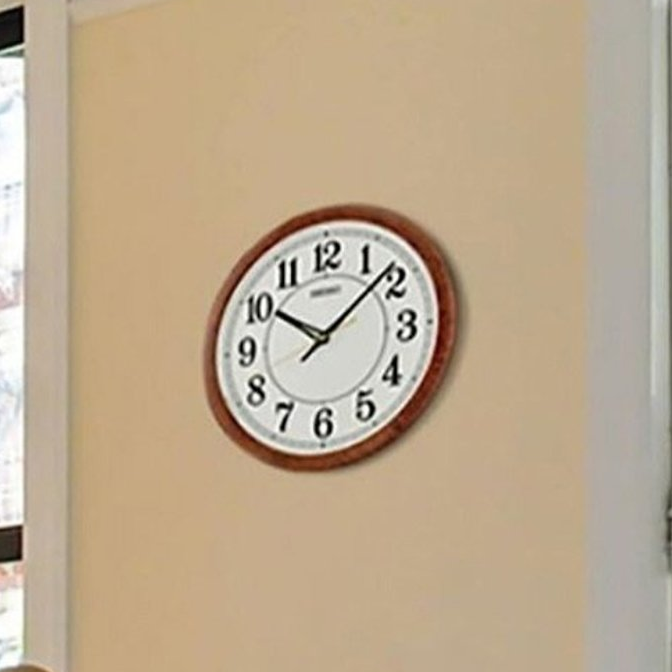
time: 10:07
